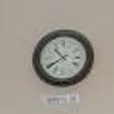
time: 10:39
